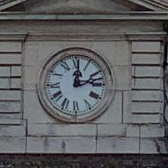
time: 12:12
